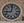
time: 9:01
